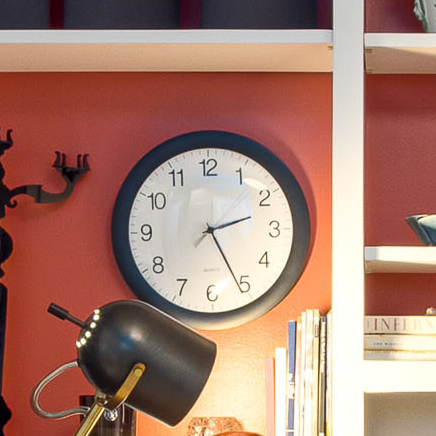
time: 2:25
